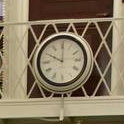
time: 10:00
